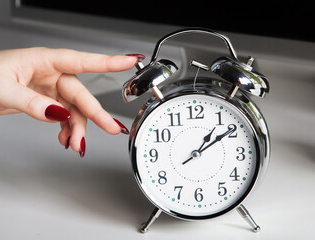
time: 1:09
